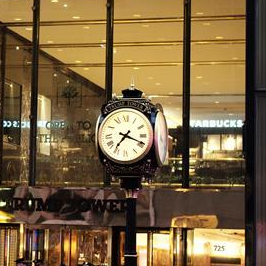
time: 7:18
